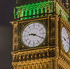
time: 9:19
